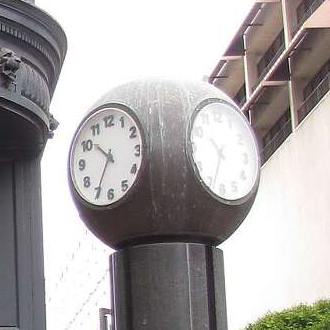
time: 10:34
